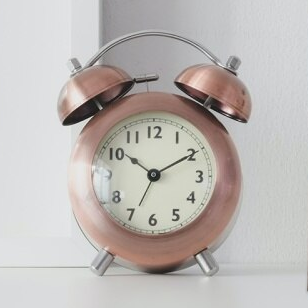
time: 10:10
